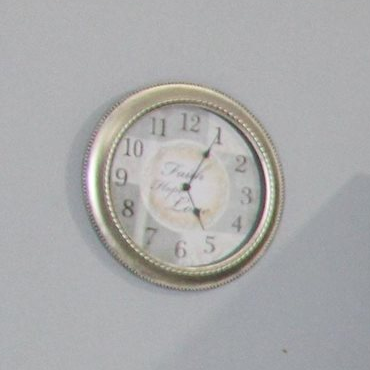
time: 5:05
